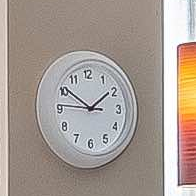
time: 1:50
